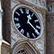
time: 12:20
